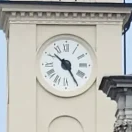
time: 10:24
